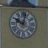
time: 10:02
